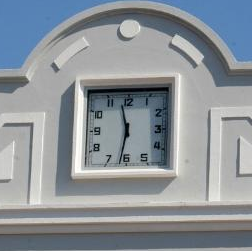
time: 11:32
